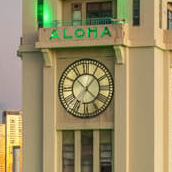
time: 1:22
